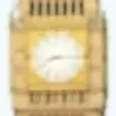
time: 8:14
